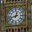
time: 12:42
